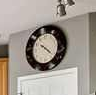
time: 4:21
